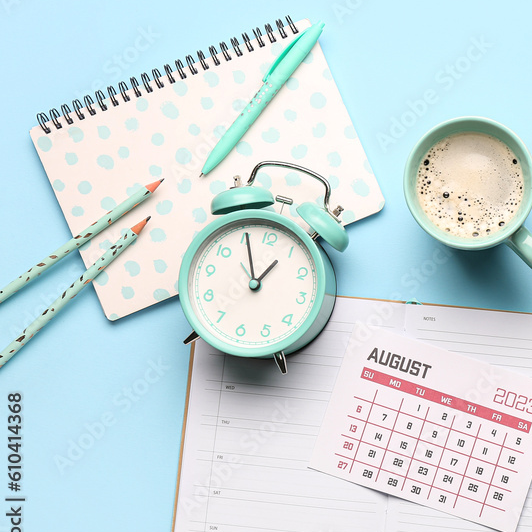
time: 12:55
